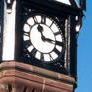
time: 11:14
